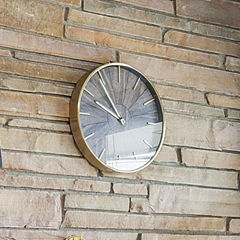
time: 9:54
